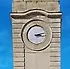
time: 3:12
